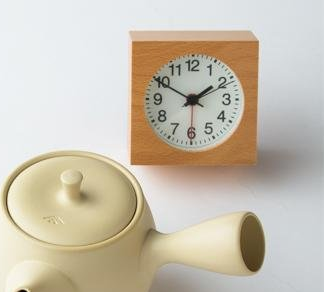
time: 1:50
